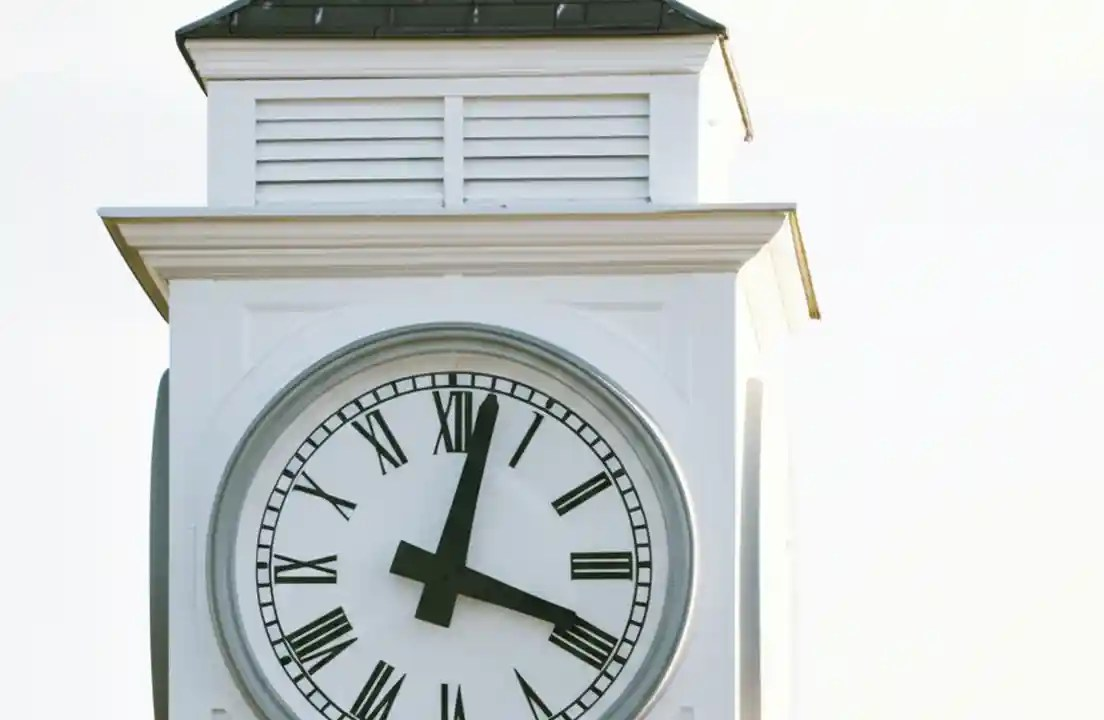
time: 12:18
